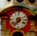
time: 7:37
